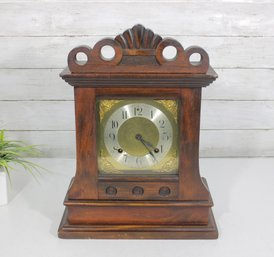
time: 4:21
